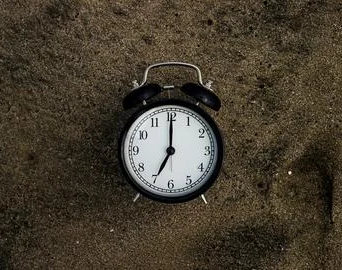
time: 7:00
